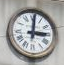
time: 3:01
